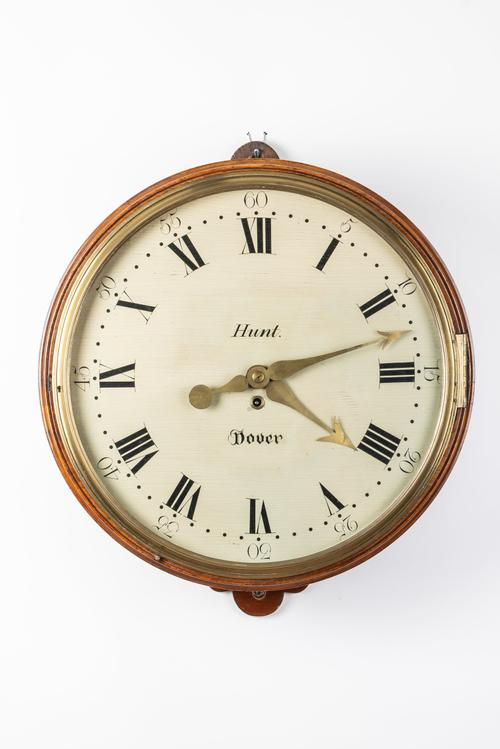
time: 4:12
